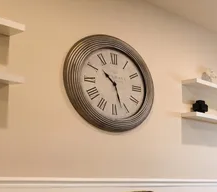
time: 10:26
